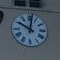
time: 10:01
